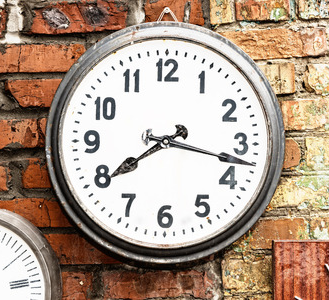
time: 8:17
